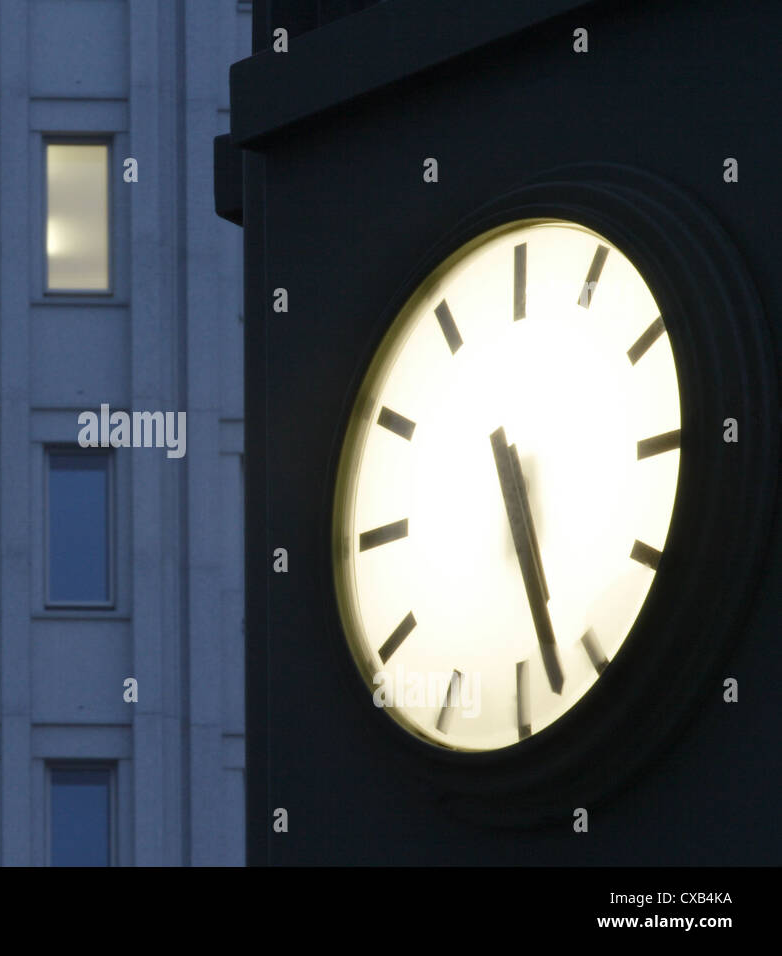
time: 5:27
